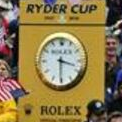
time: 3:30
